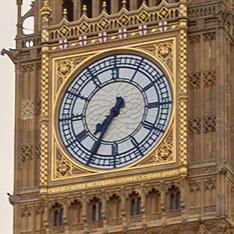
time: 7:34
